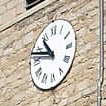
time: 10:47
